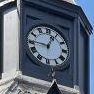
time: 12:45
